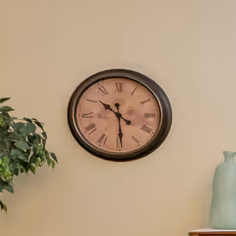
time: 10:29
